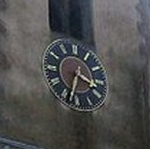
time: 3:33
